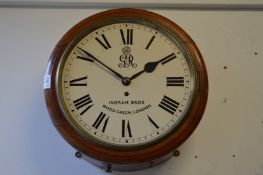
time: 1:51
